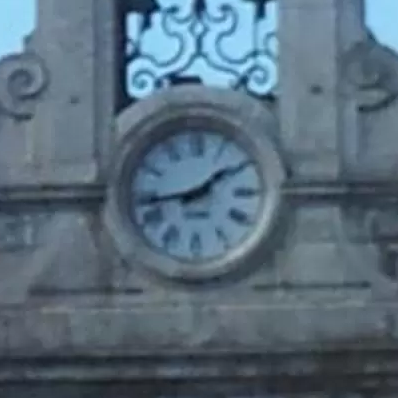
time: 1:43
